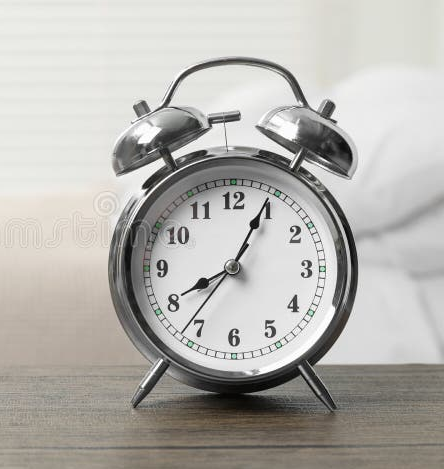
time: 8:04
